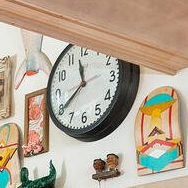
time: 11:38
